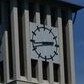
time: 2:43
